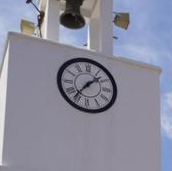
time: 1:36
